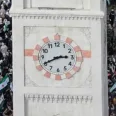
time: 2:40
